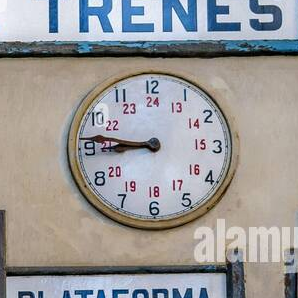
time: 8:46
